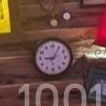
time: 9:05
